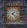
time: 1:22
